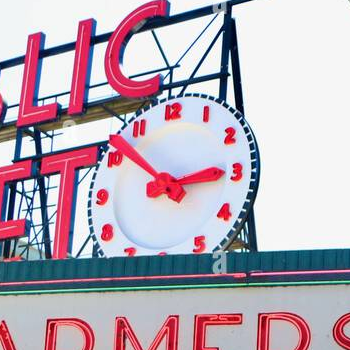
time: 2:52
